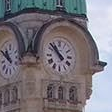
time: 10:52
